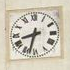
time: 8:32
